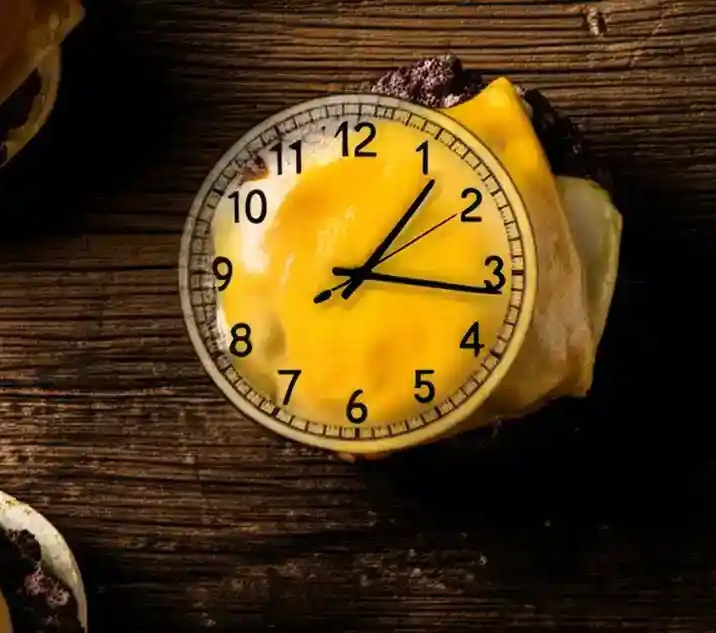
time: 1:16
